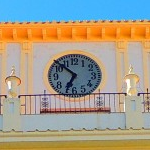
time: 6:52
